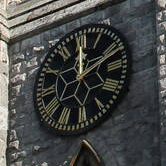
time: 12:11
